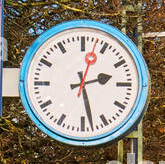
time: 2:28
